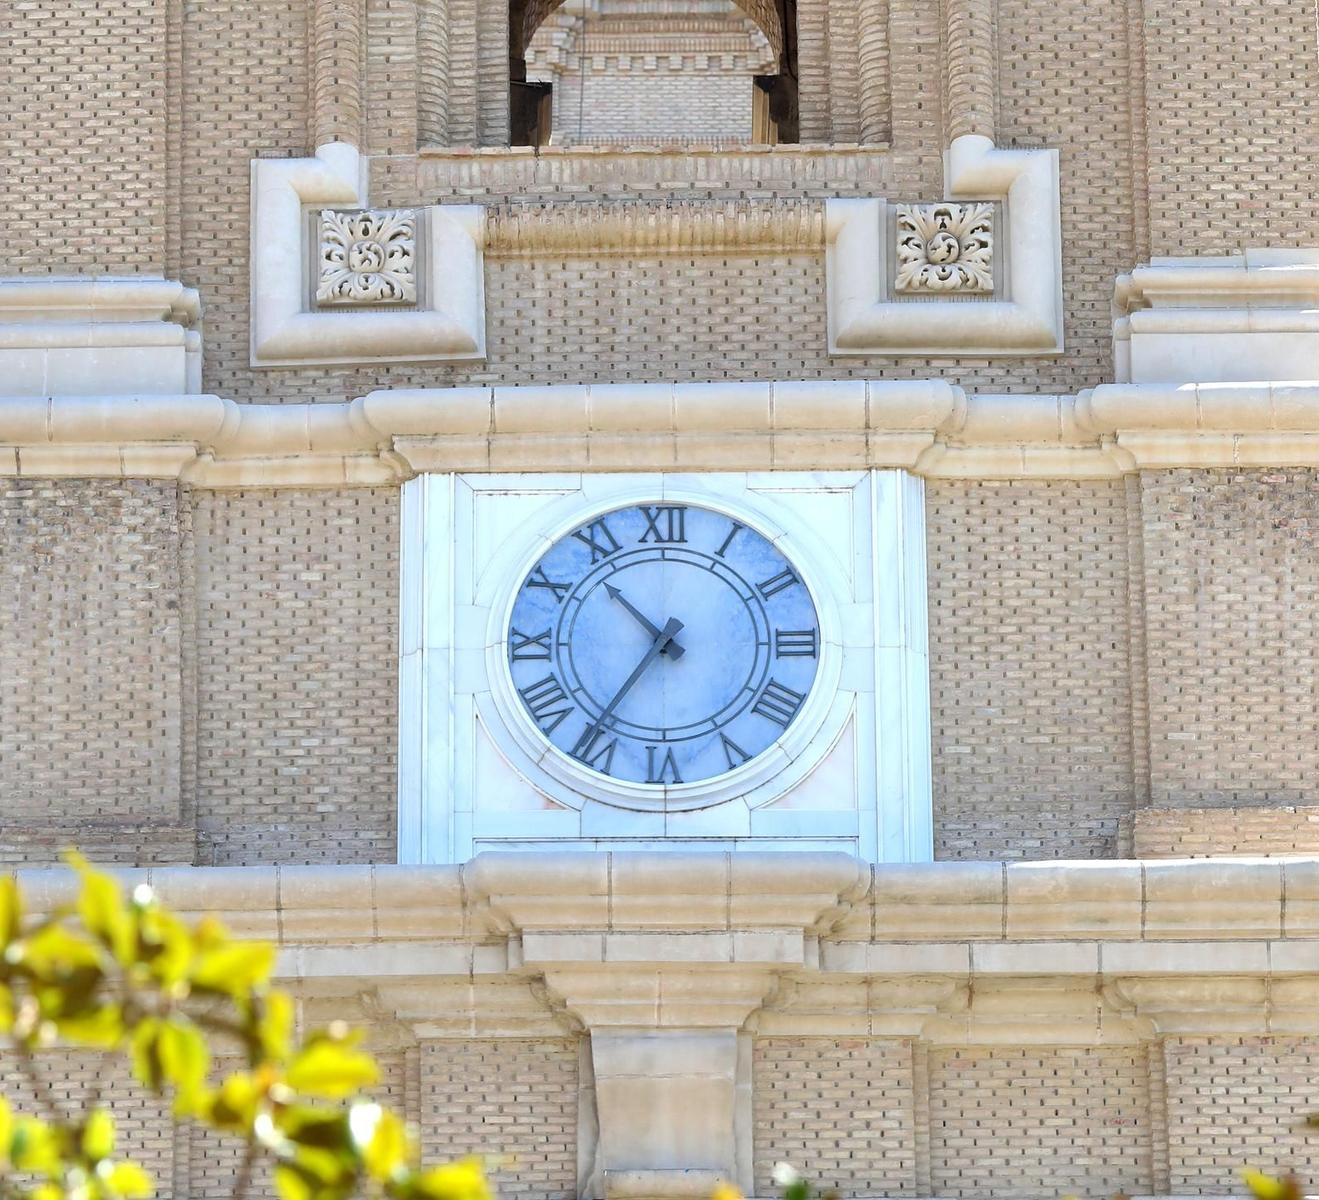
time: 10:35
